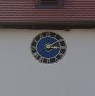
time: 3:08
